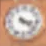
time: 3:21
